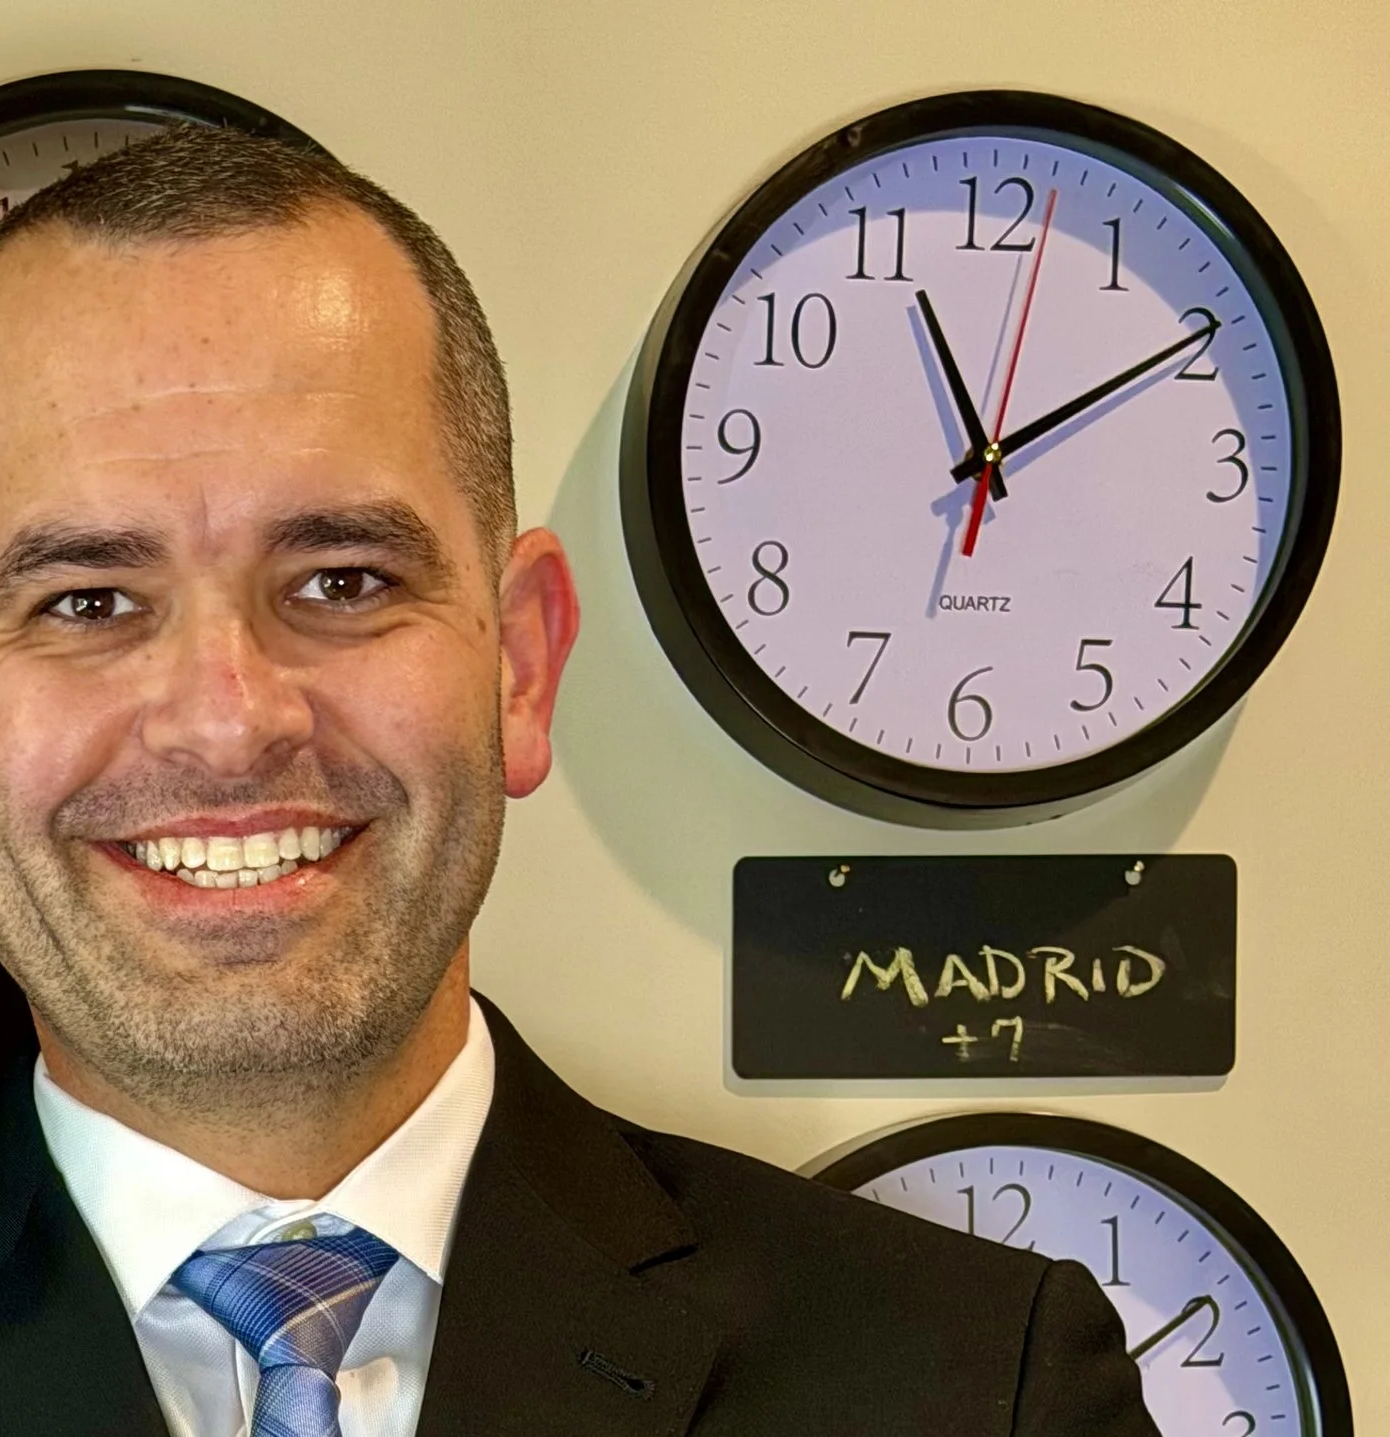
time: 11:09
